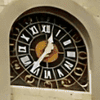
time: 12:36
